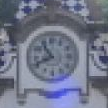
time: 10:41
